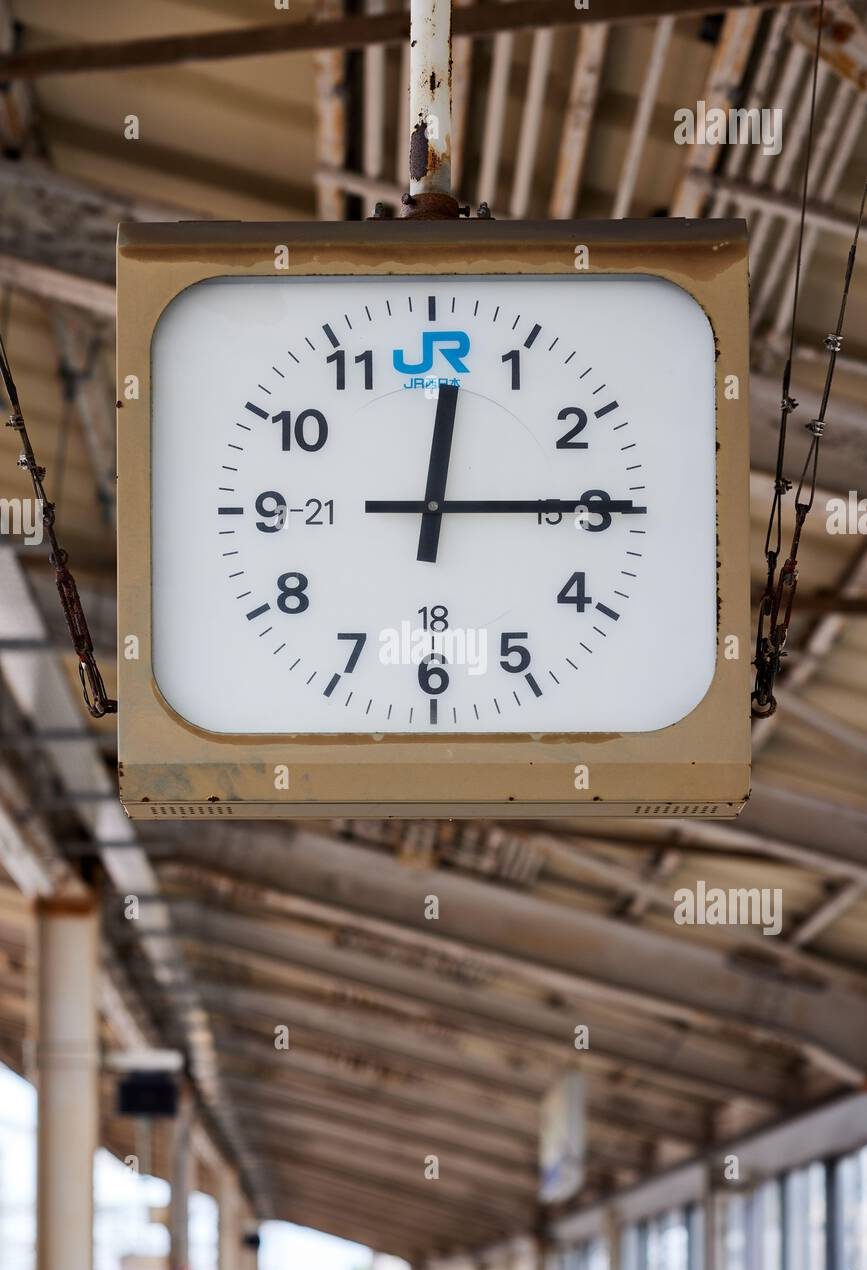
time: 12:14
